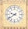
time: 9:39
